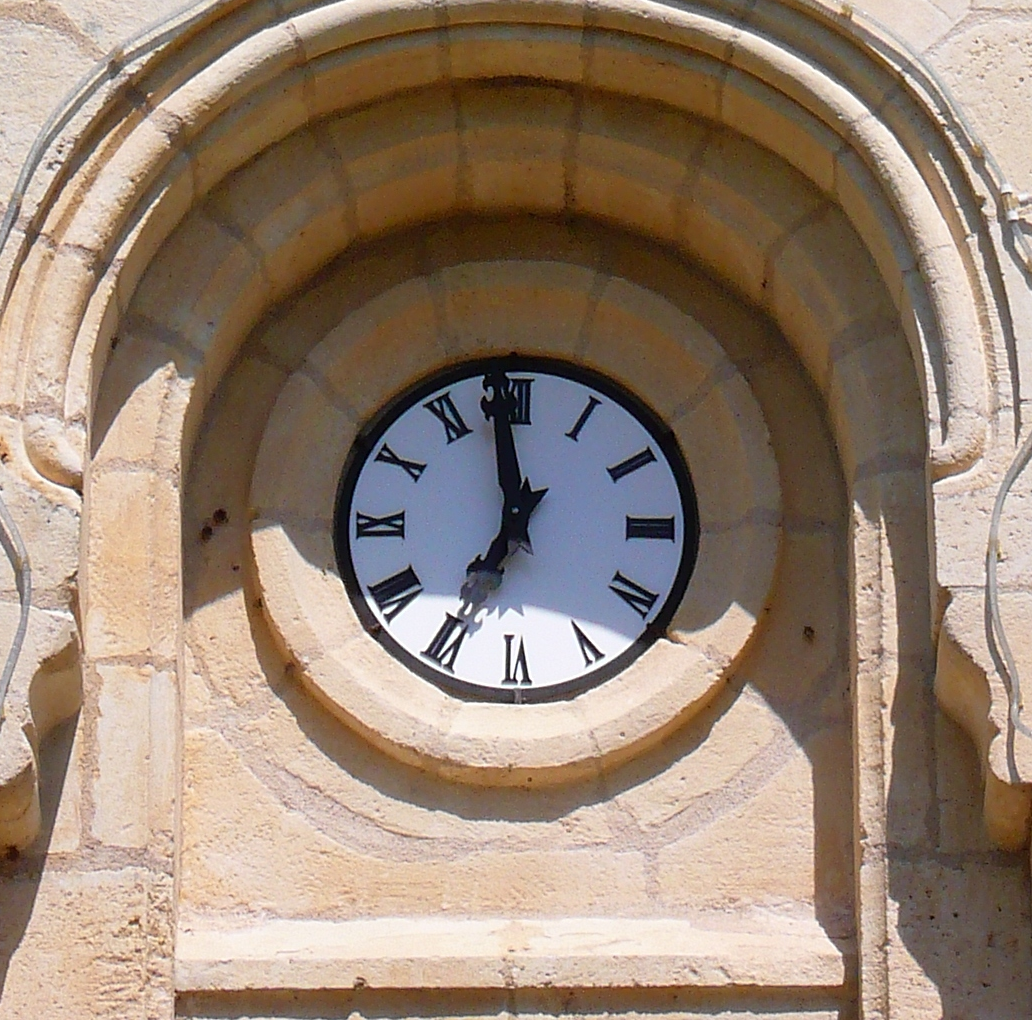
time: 6:58
